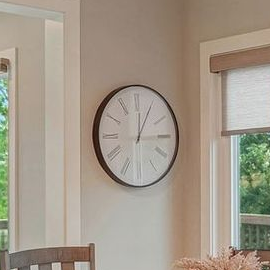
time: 12:04
